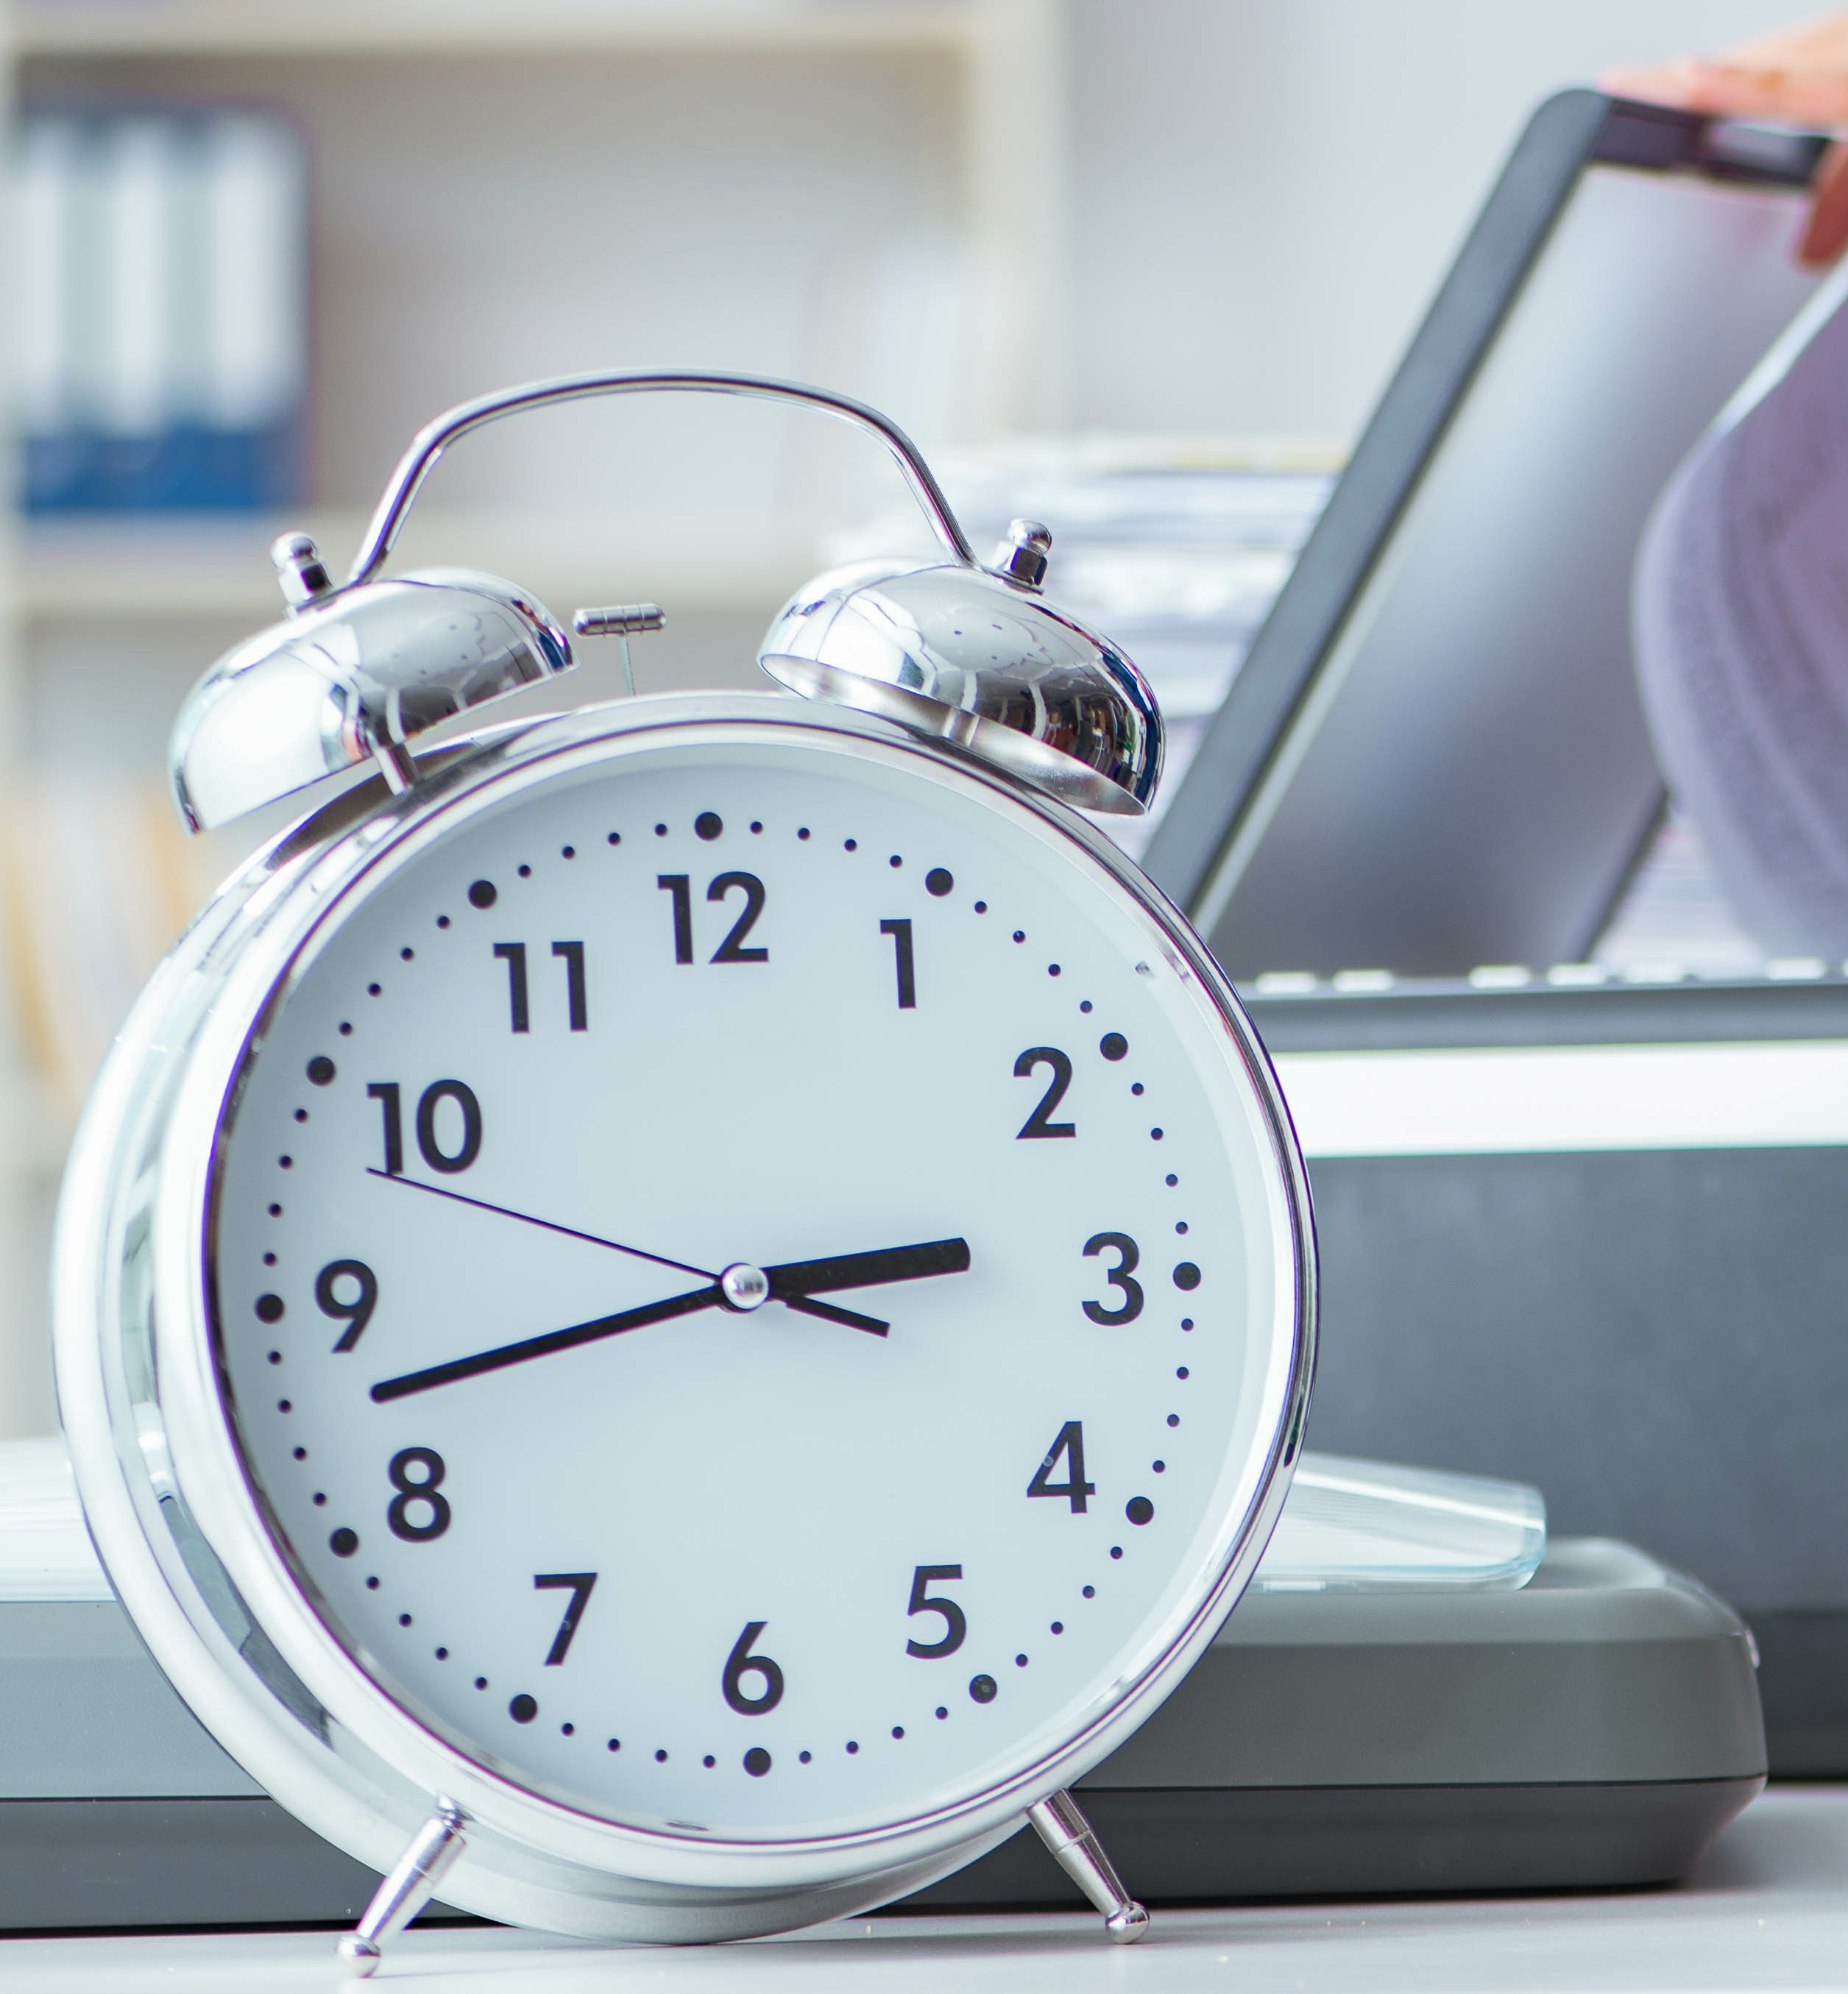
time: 2:42
